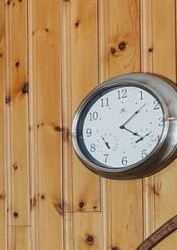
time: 4:07
